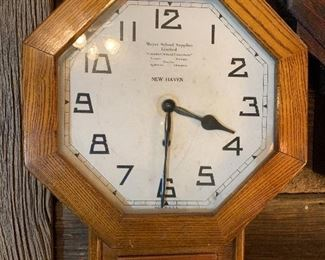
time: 3:30
